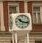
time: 10:17
